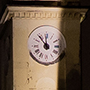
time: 11:53
